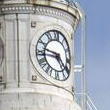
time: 9:22
